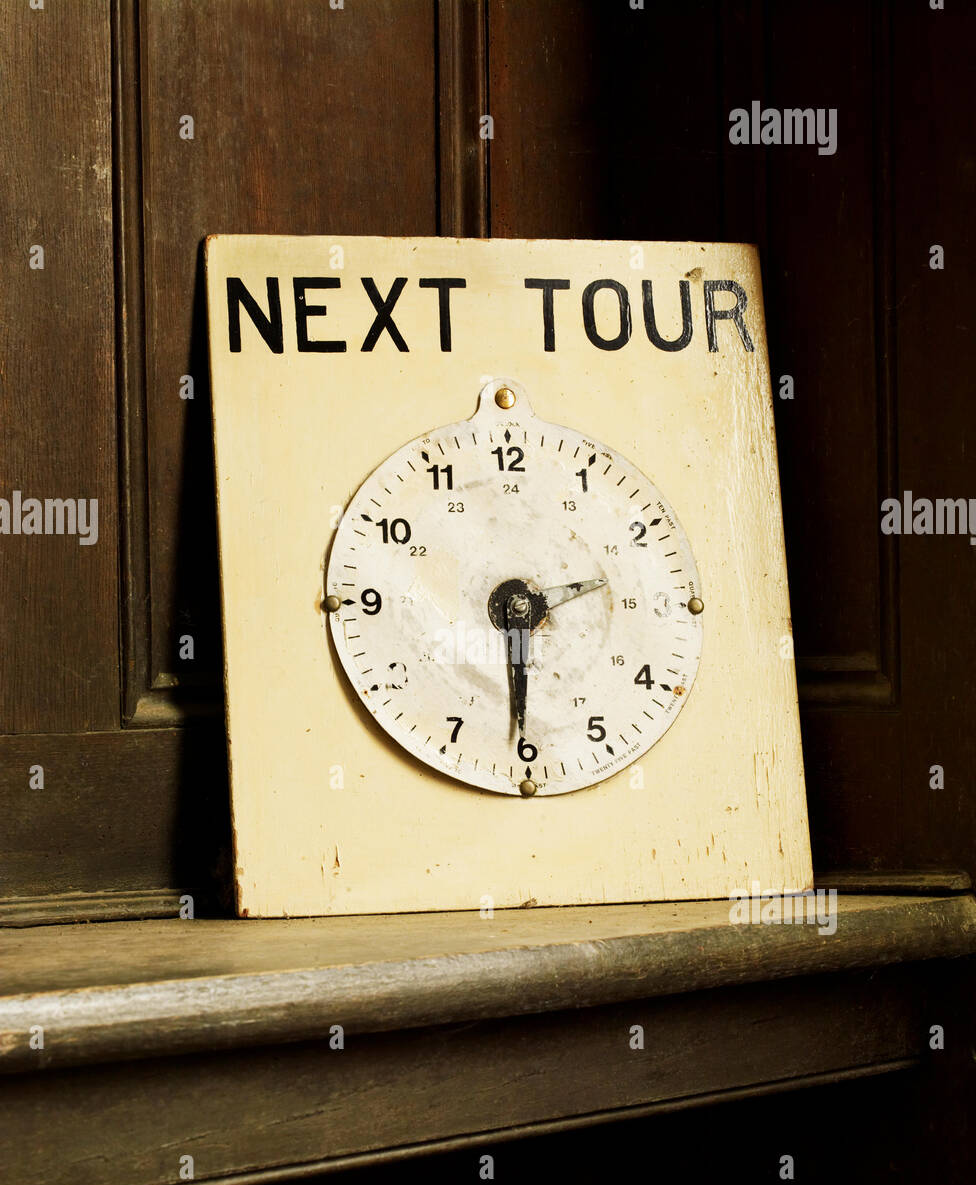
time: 2:30
